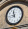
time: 8:58
